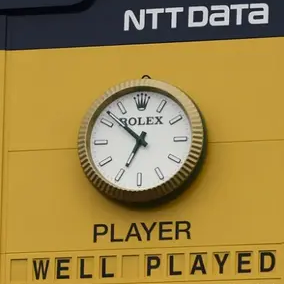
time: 6:52
